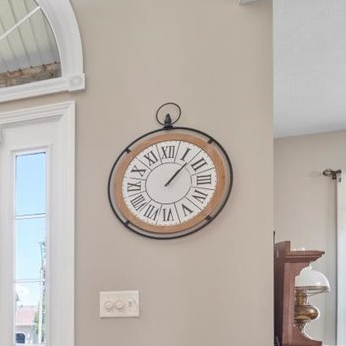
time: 1:07
